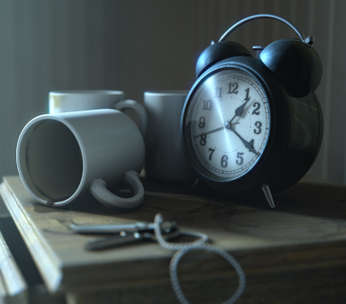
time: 1:20
